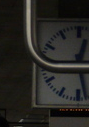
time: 12:45
